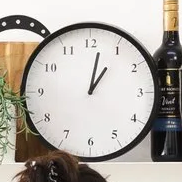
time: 1:01
